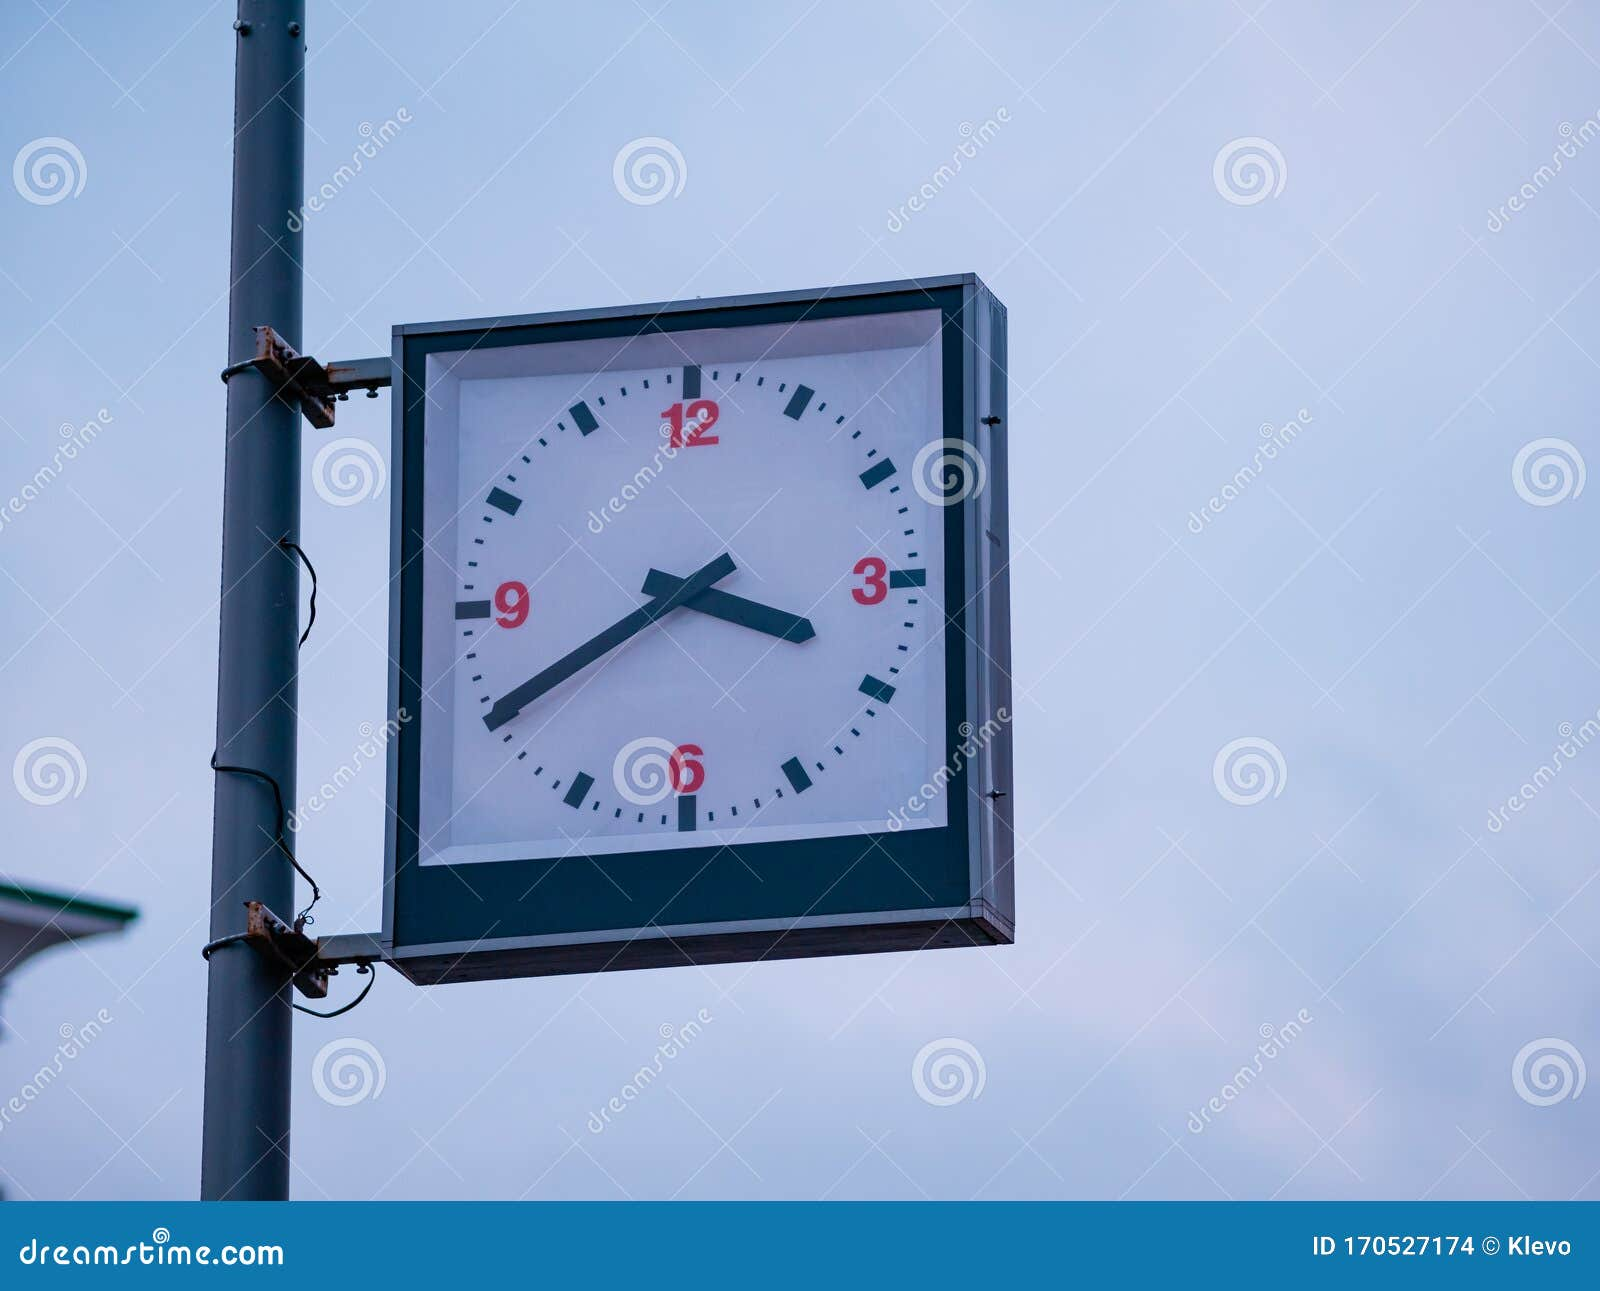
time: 3:40
